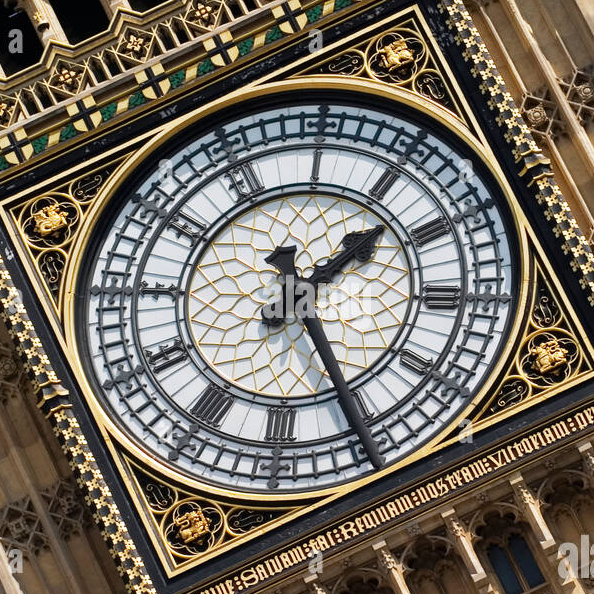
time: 1:25
